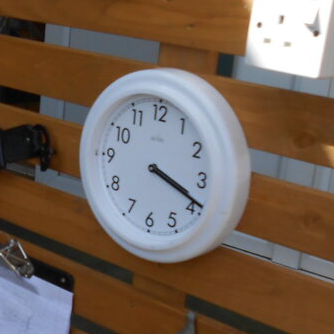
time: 3:18
